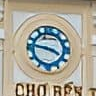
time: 3:46
